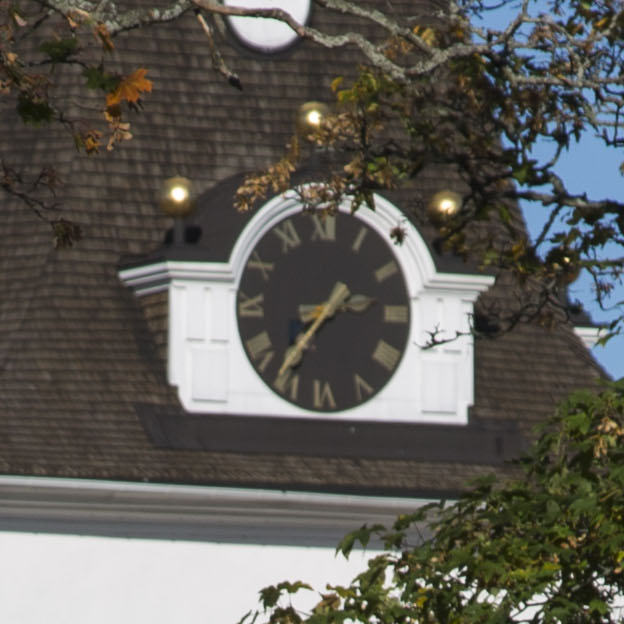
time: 2:36
